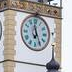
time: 6:58
